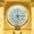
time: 5:14
